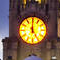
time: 4:59
